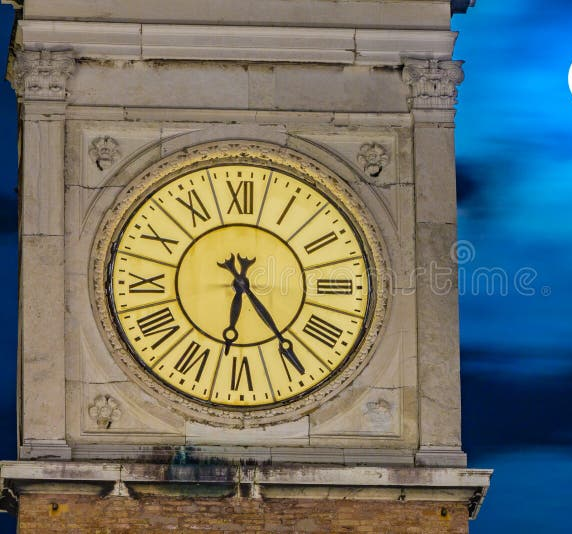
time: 6:24
